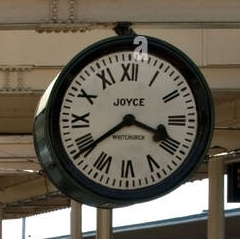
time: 3:39
